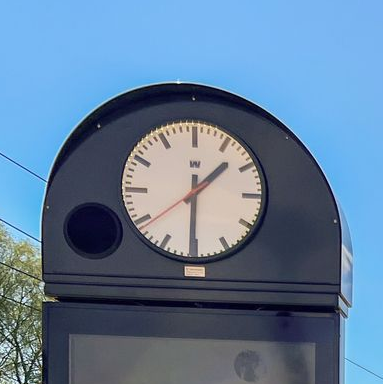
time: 1:30
